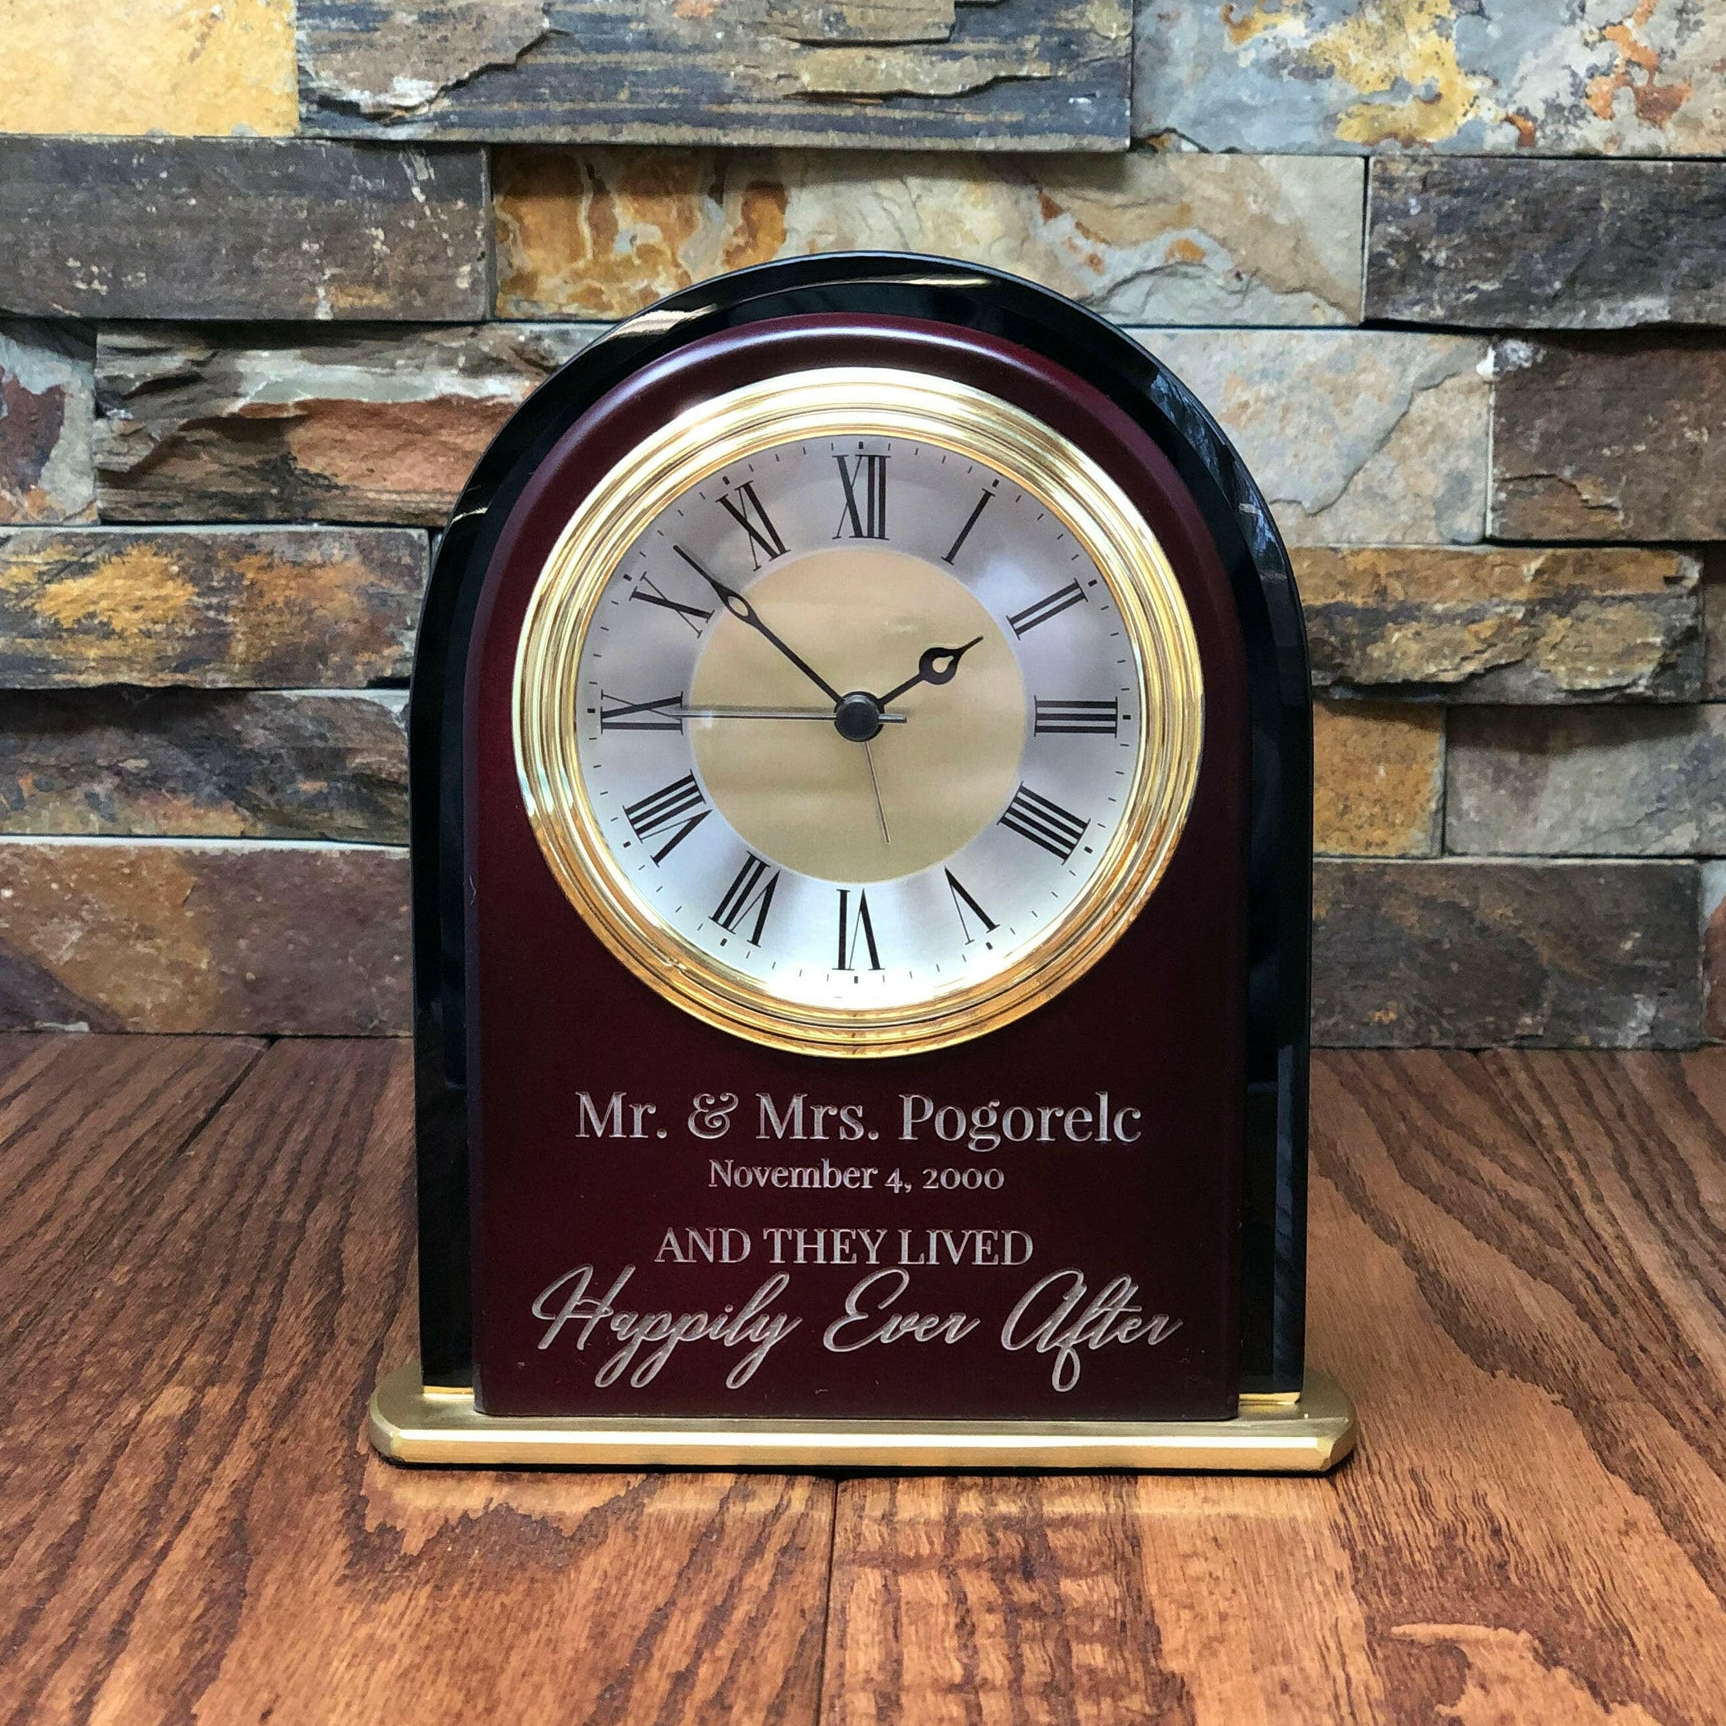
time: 1:52
